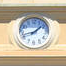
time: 1:42
